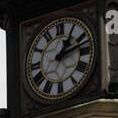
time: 1:12
